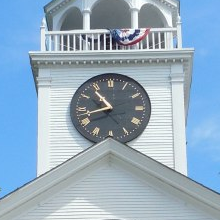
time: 10:42
